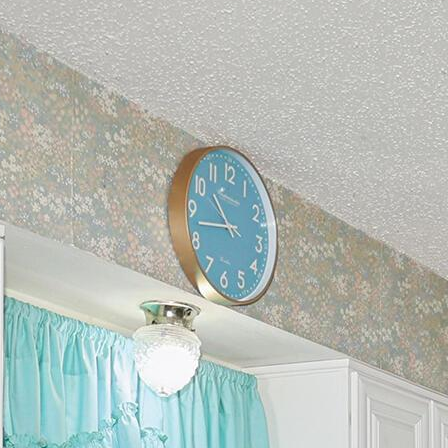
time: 10:42
